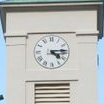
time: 4:14
